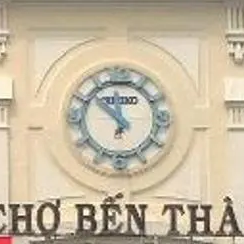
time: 11:52
